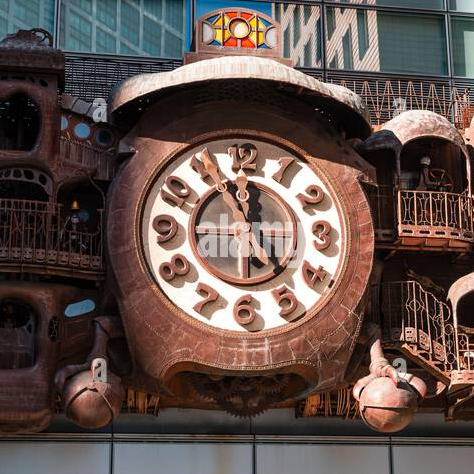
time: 11:55
